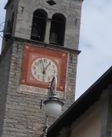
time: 12:57
